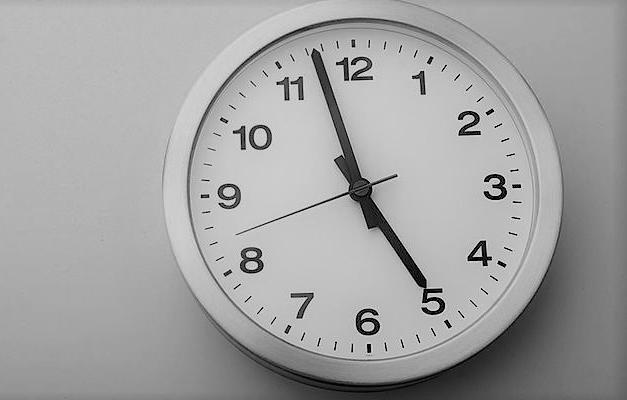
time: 4:57
